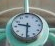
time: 9:31
